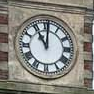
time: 11:00
